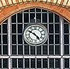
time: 4:50
